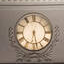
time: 6:27
